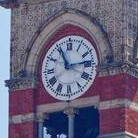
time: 11:13
